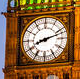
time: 8:12
